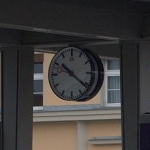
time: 10:21
